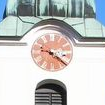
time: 9:20
